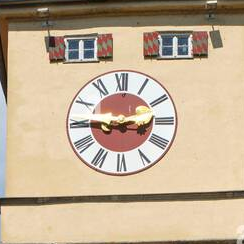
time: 2:45
